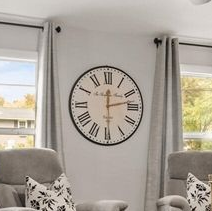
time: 12:12
